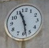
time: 11:28
